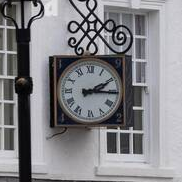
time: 2:15
